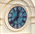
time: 12:38
